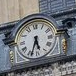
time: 5:33
